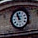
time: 10:56
